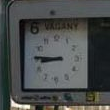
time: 8:45
